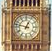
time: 12:47
